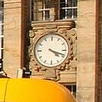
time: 4:18
